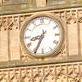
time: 8:34
